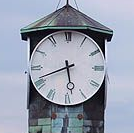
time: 5:41
